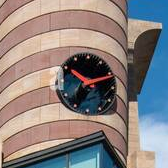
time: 10:11
